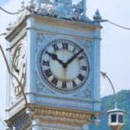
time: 10:07
